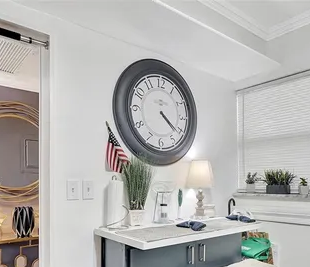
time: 4:21
